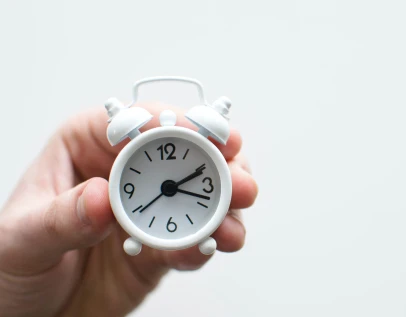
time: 2:18
